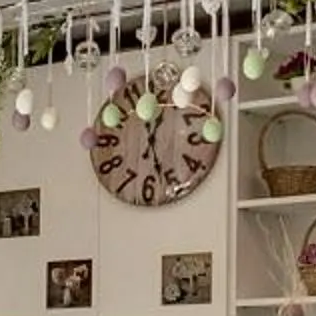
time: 12:26
